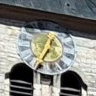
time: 12:34
